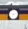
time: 4:12
